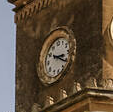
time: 3:20
